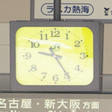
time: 9:25
